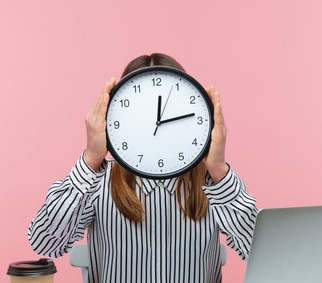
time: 12:13
